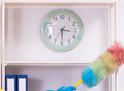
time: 3:30
